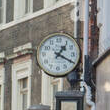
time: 1:19
